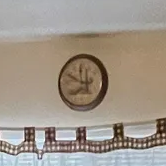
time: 7:49
